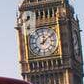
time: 12:08
